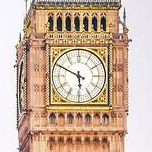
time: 5:49
